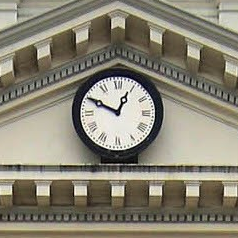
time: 12:49
